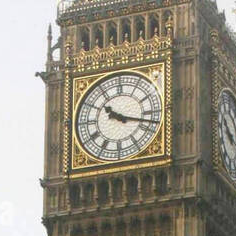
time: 10:17
